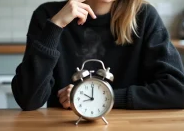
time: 9:00
